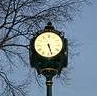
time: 5:26
